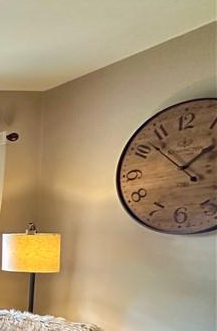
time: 1:52
